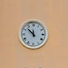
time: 11:52
